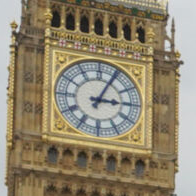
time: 3:04
